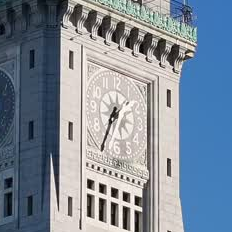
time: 1:34
